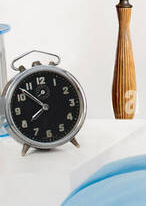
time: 7:52
